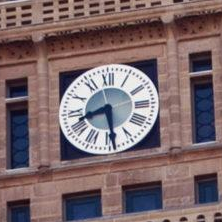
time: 8:29
